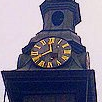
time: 11:40
